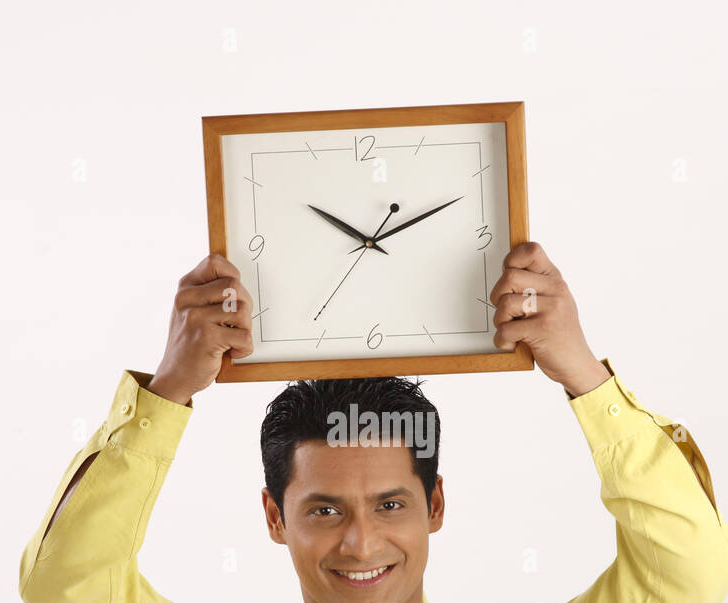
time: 10:11
